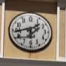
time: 1:43
